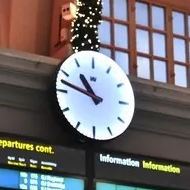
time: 10:47
